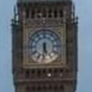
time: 5:31
